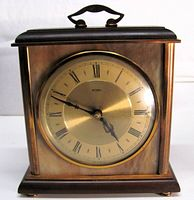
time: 4:48
